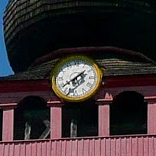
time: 1:39
